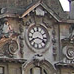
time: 3:41
